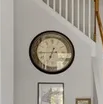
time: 6:44
